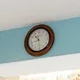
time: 10:42
